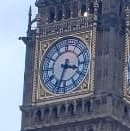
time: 3:33
